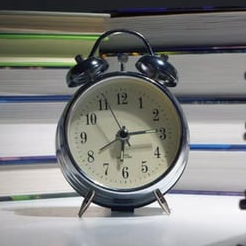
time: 6:14
